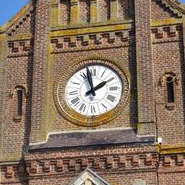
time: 1:57
